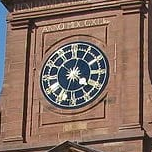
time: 4:02
